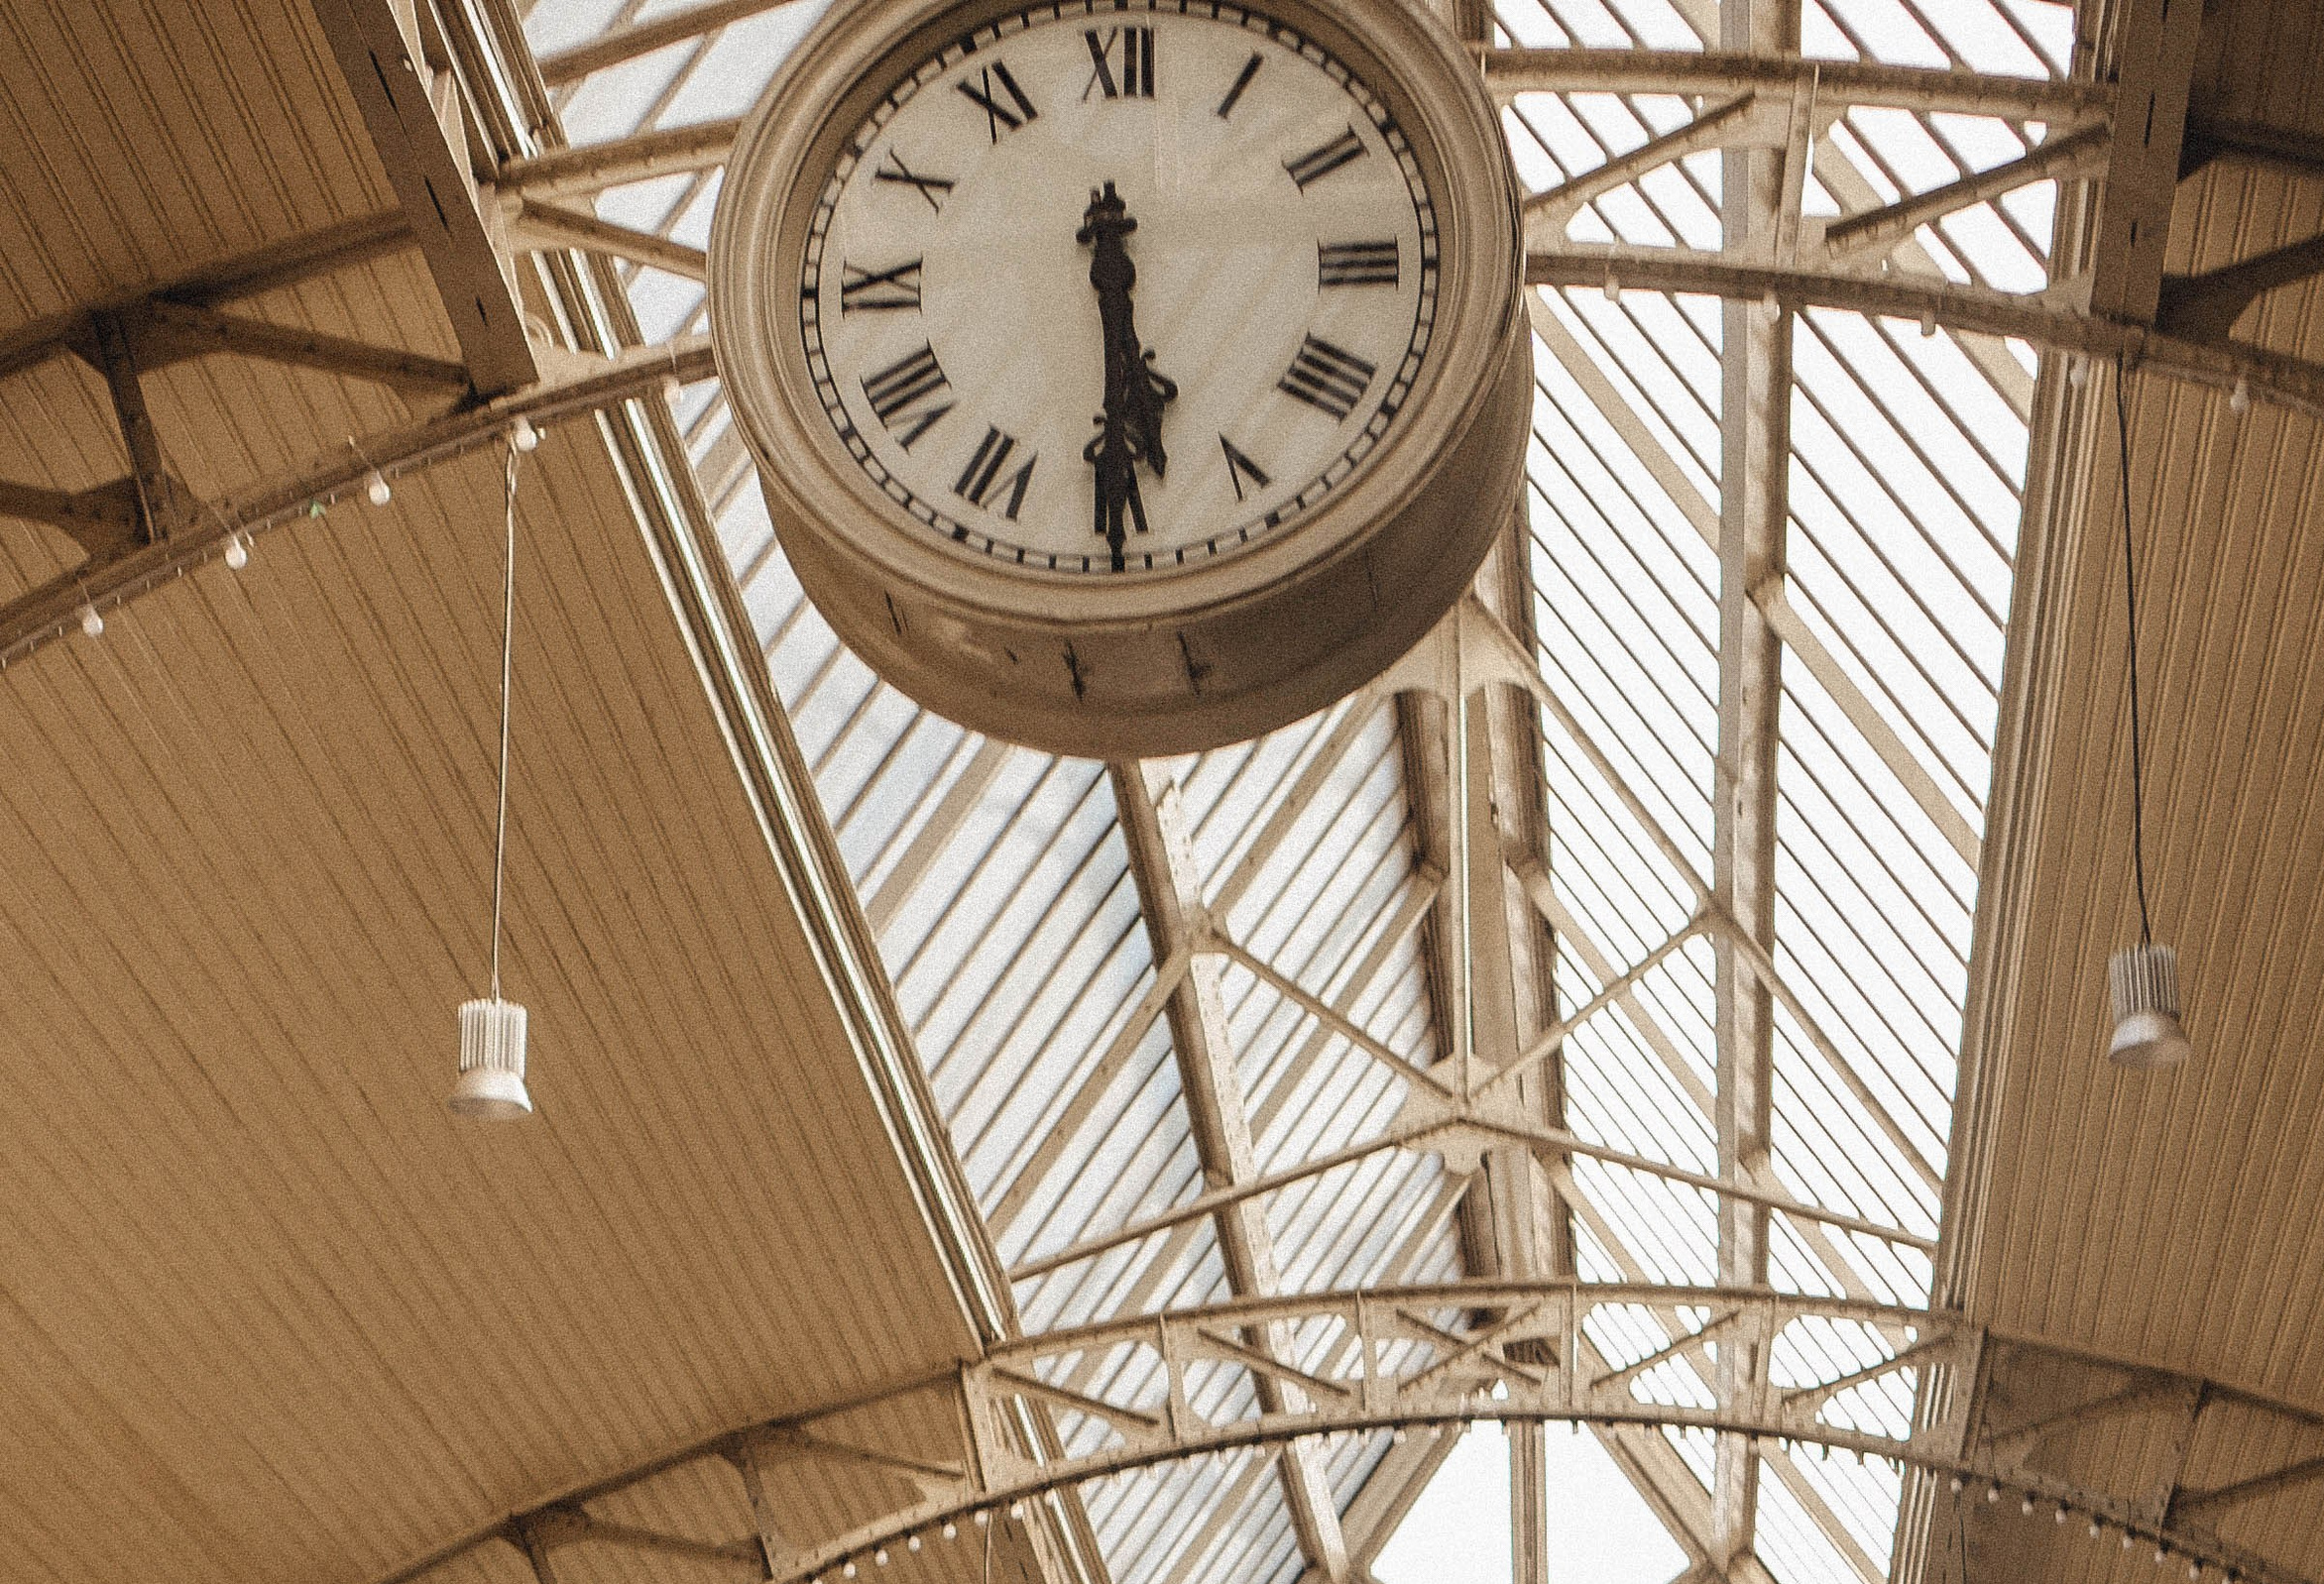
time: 5:29
